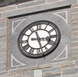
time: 3:27
